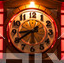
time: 8:39
